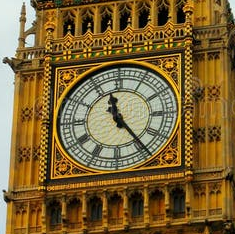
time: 11:23
